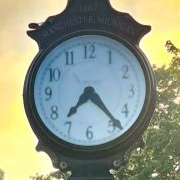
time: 7:23
